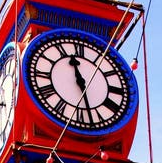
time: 11:27
